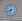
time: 6:41
